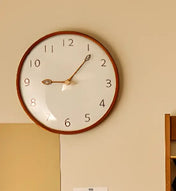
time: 9:06
